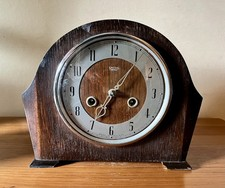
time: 7:06
